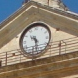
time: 10:28
